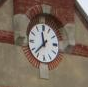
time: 11:37
